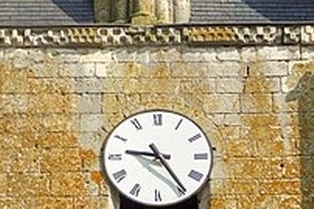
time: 9:24
